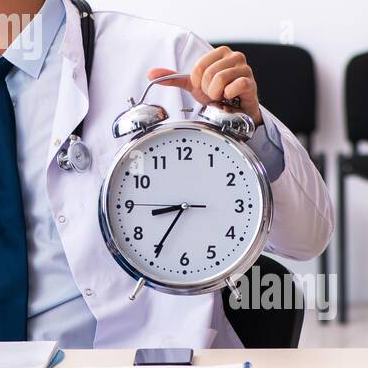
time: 8:35
